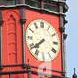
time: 7:39
